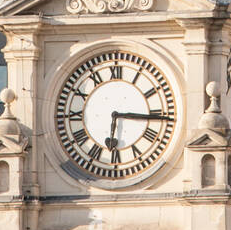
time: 6:15
